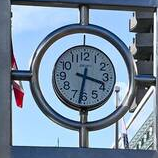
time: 3:31
